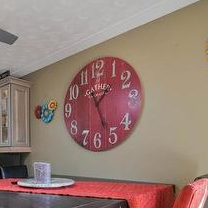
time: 1:26
